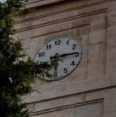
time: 6:14
